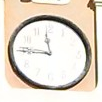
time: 11:45
